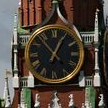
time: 12:53
